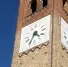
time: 4:35
